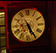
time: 5:25
